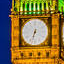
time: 6:32
